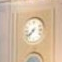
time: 7:37
